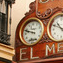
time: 9:48
